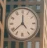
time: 4:38
